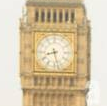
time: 8:27
